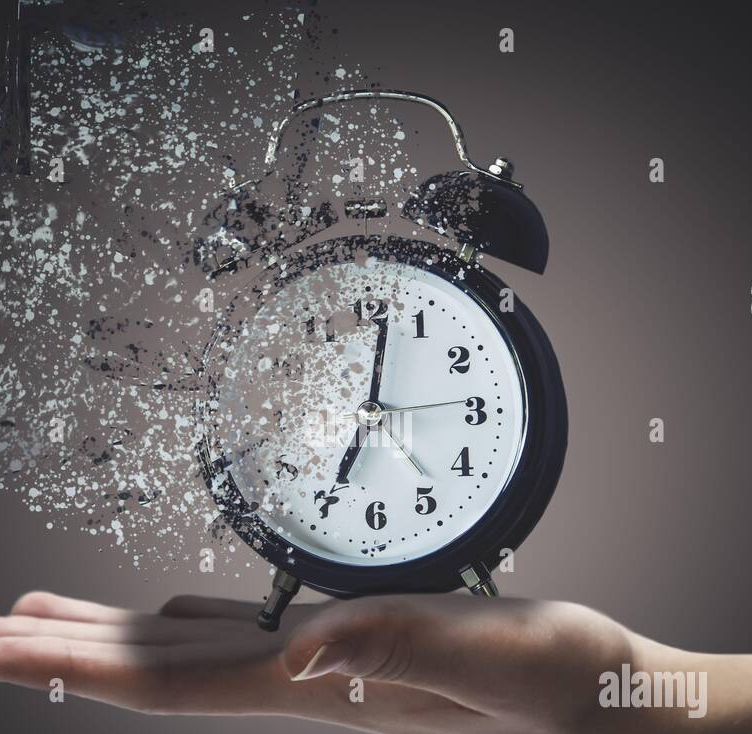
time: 7:01
